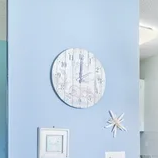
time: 2:00
